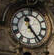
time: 11:23
